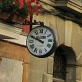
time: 9:49
